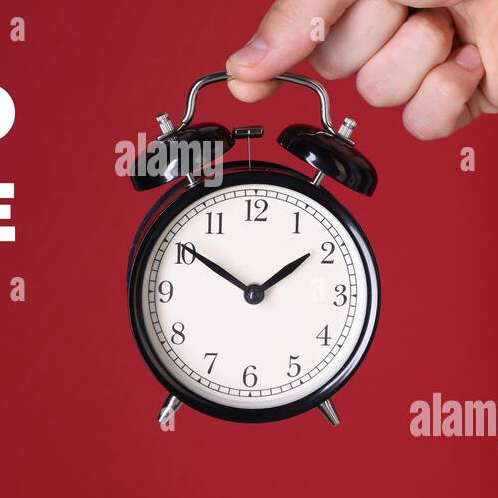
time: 1:50
